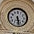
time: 5:28
